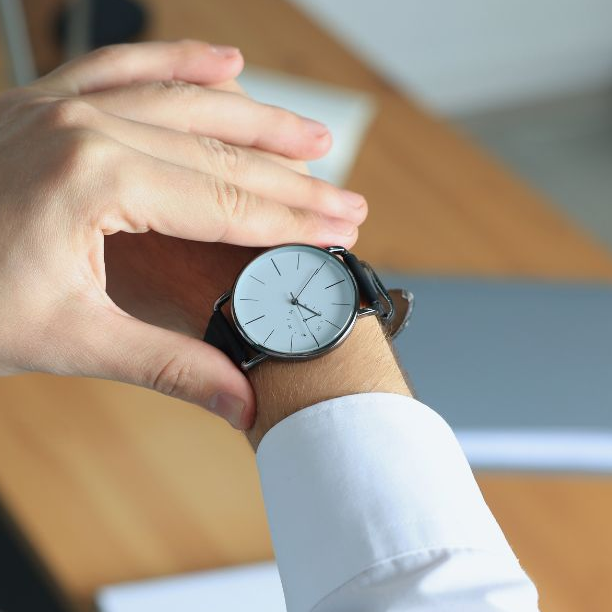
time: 4:04
